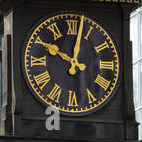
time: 10:02
